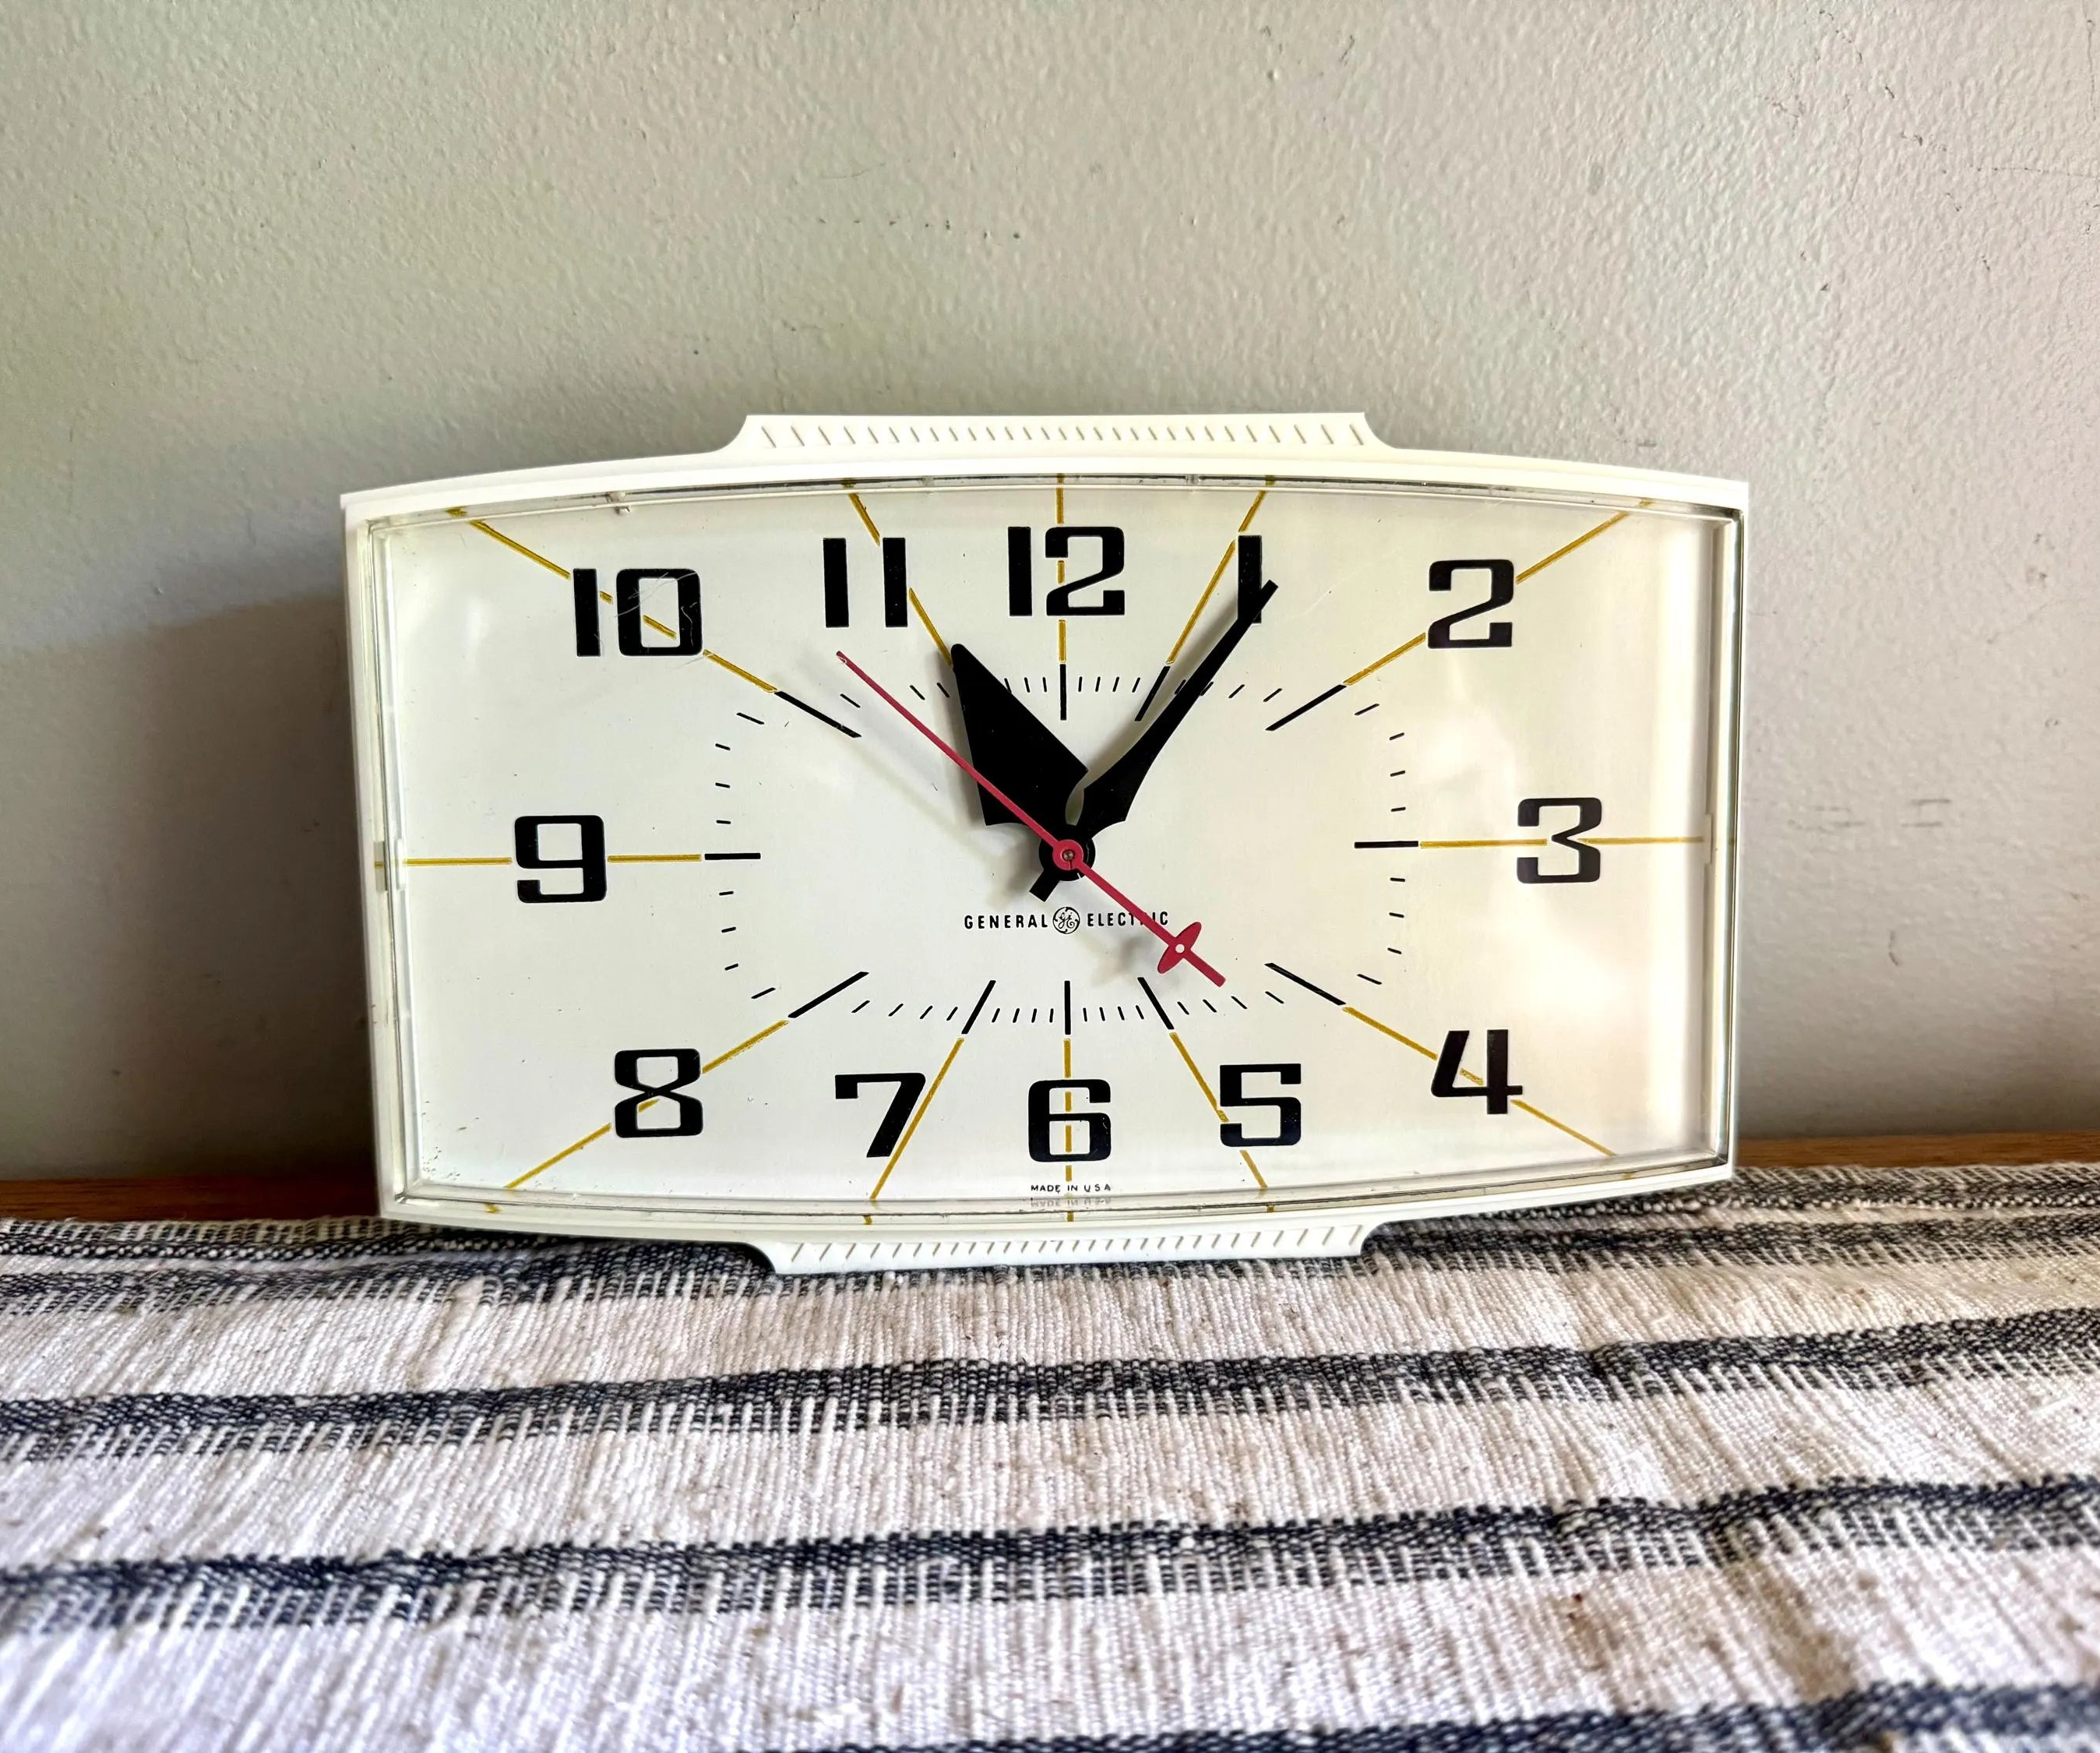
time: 11:05
